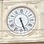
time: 5:26
